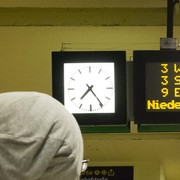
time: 7:24
